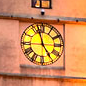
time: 4:57
